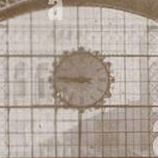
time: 8:45
